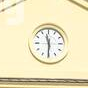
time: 11:30
